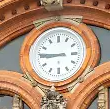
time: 8:45
